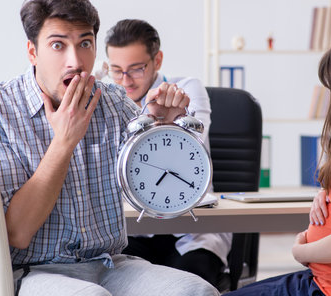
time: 7:20
